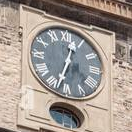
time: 12:33
